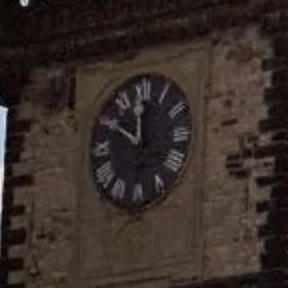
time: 11:50
